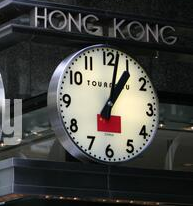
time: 1:02
